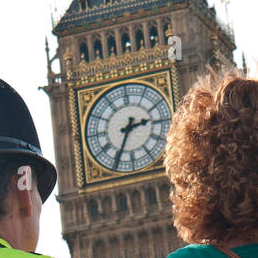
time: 2:34
